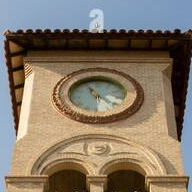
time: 11:21
